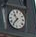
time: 10:36
